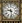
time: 9:28
